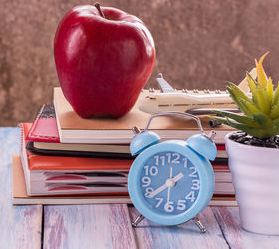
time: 1:38
